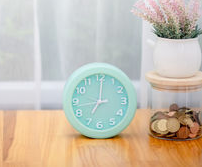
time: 7:00
